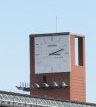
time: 3:11
